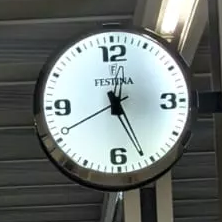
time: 12:26
